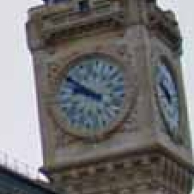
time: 8:49
